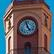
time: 4:57
